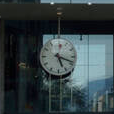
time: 5:18
